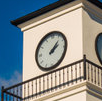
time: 2:06
